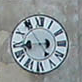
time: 8:54
